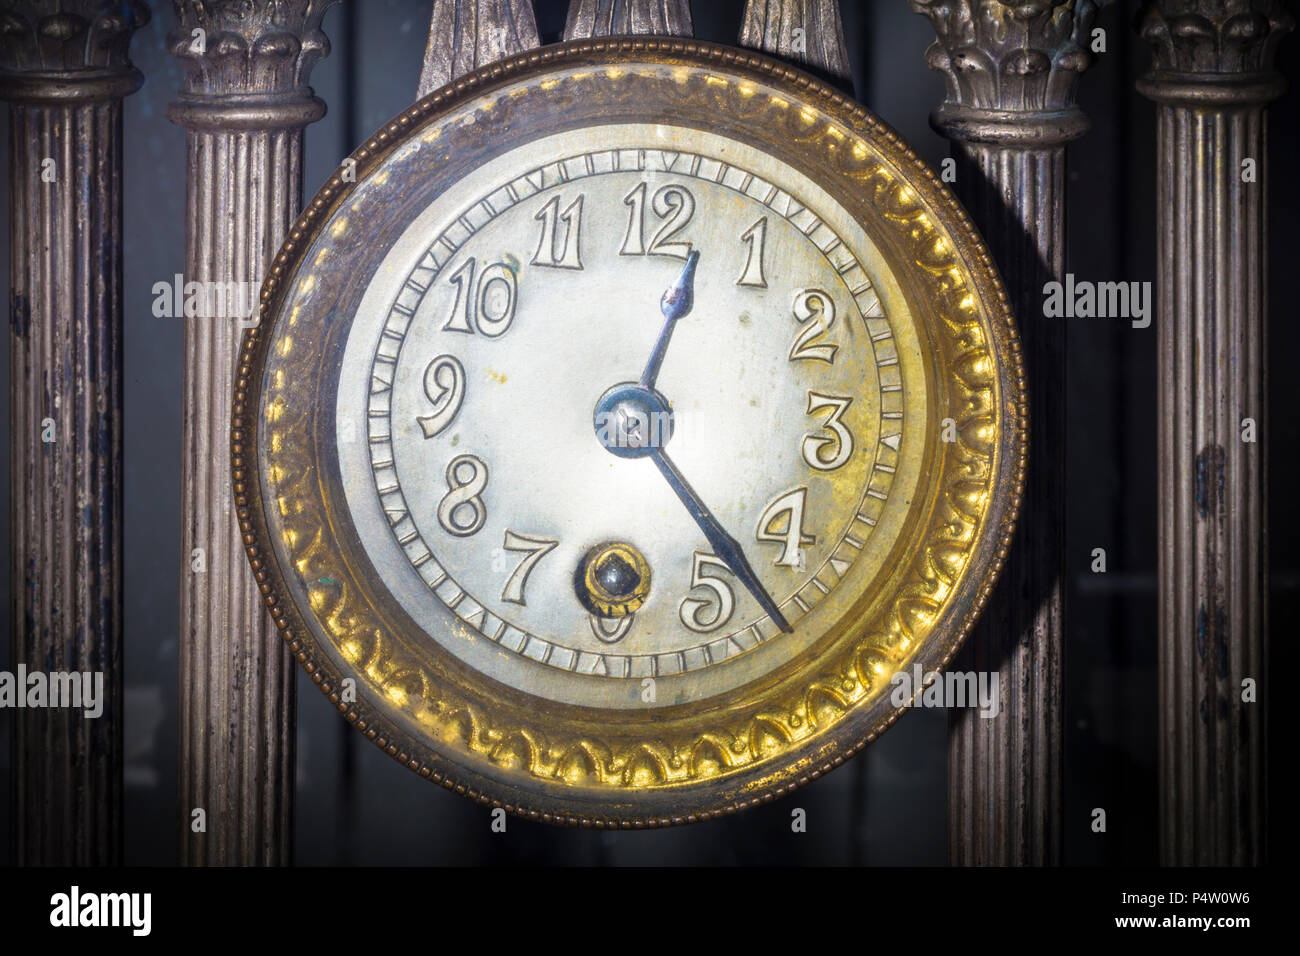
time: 12:23
